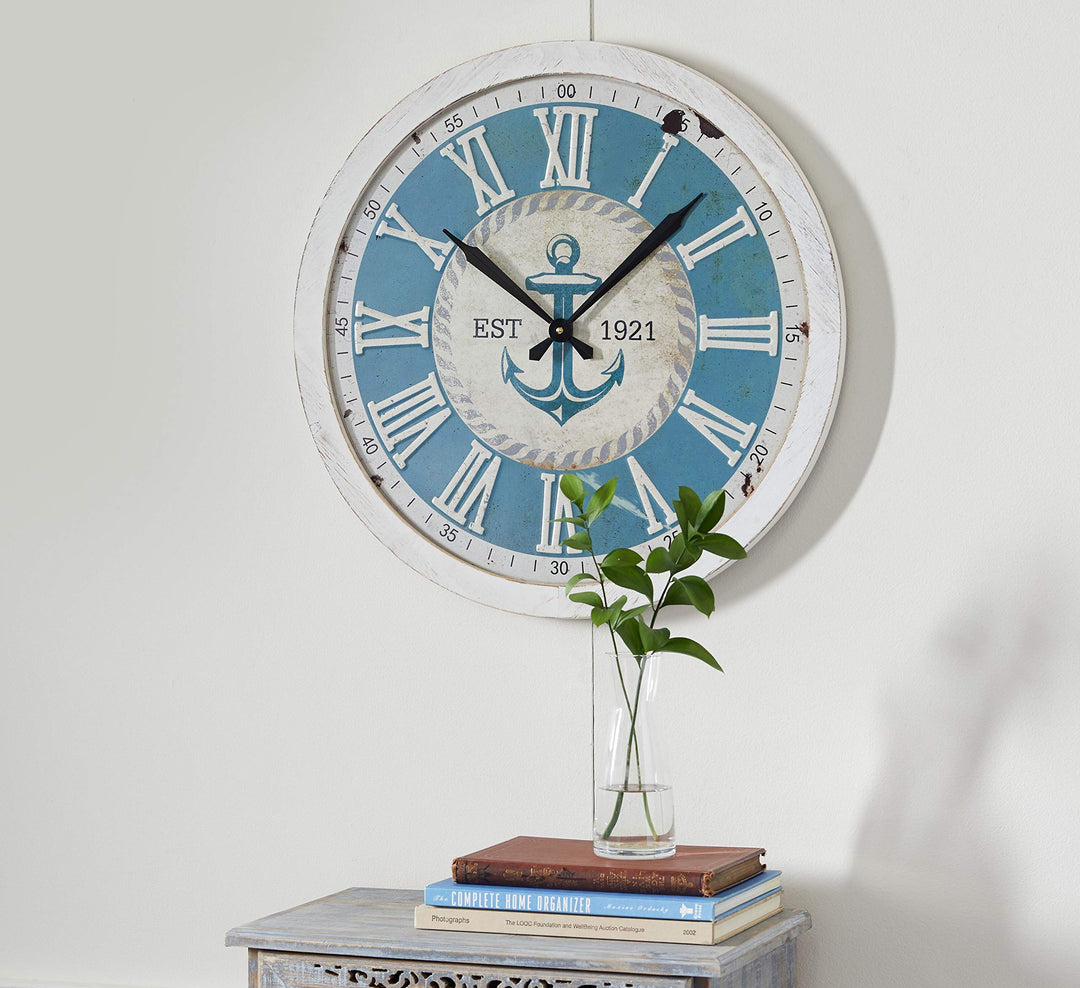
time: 10:07
